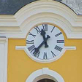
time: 11:36
